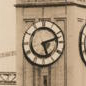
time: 5:12
